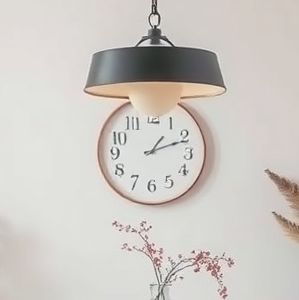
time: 1:11
